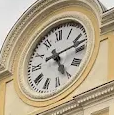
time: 5:12
